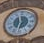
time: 11:32
